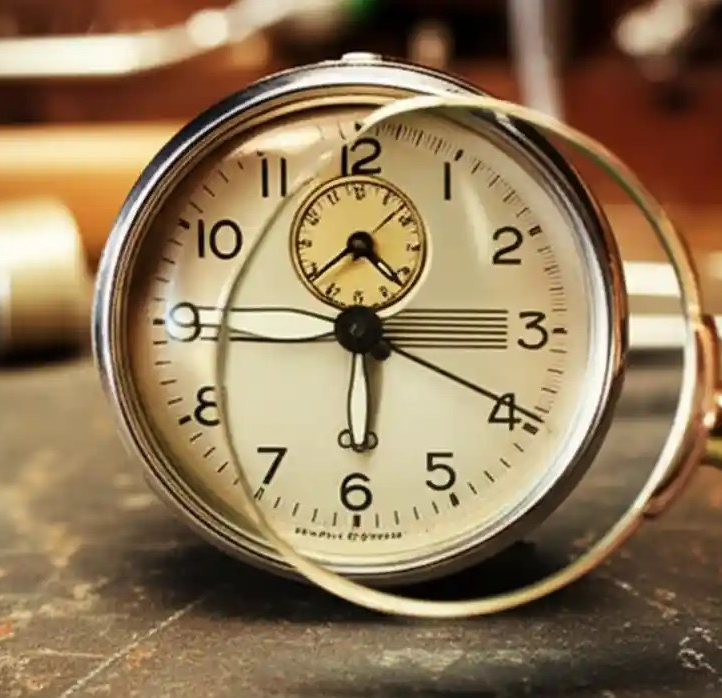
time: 5:44
